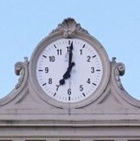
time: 7:00
